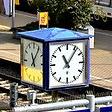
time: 11:06
